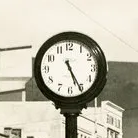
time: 5:25
